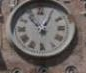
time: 12:53
